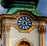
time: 5:03
